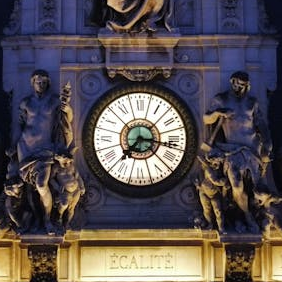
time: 7:17
